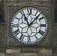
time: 11:07
